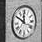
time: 11:50
